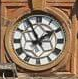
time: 1:55
